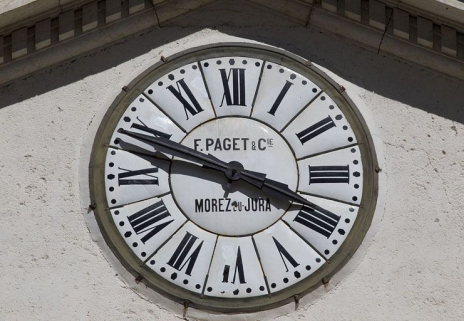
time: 3:48
